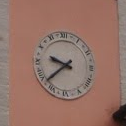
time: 9:38
